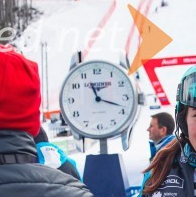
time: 11:18
